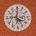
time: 4:00
